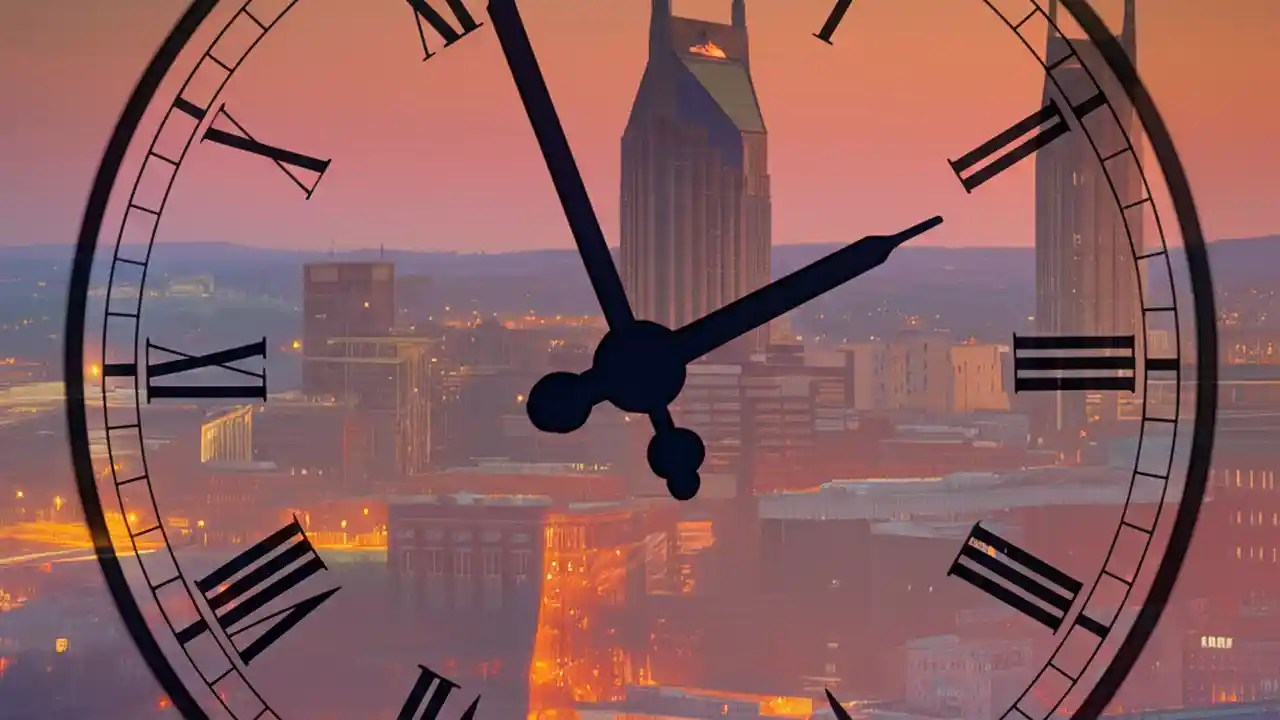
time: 1:56
